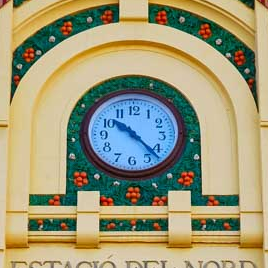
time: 10:22
